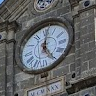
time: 12:24
